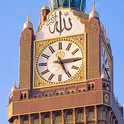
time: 5:14
